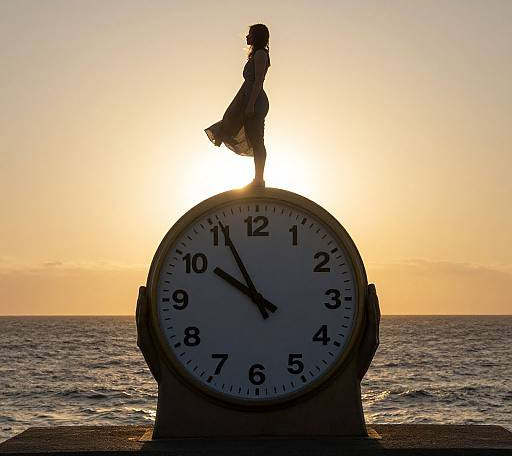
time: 9:55
